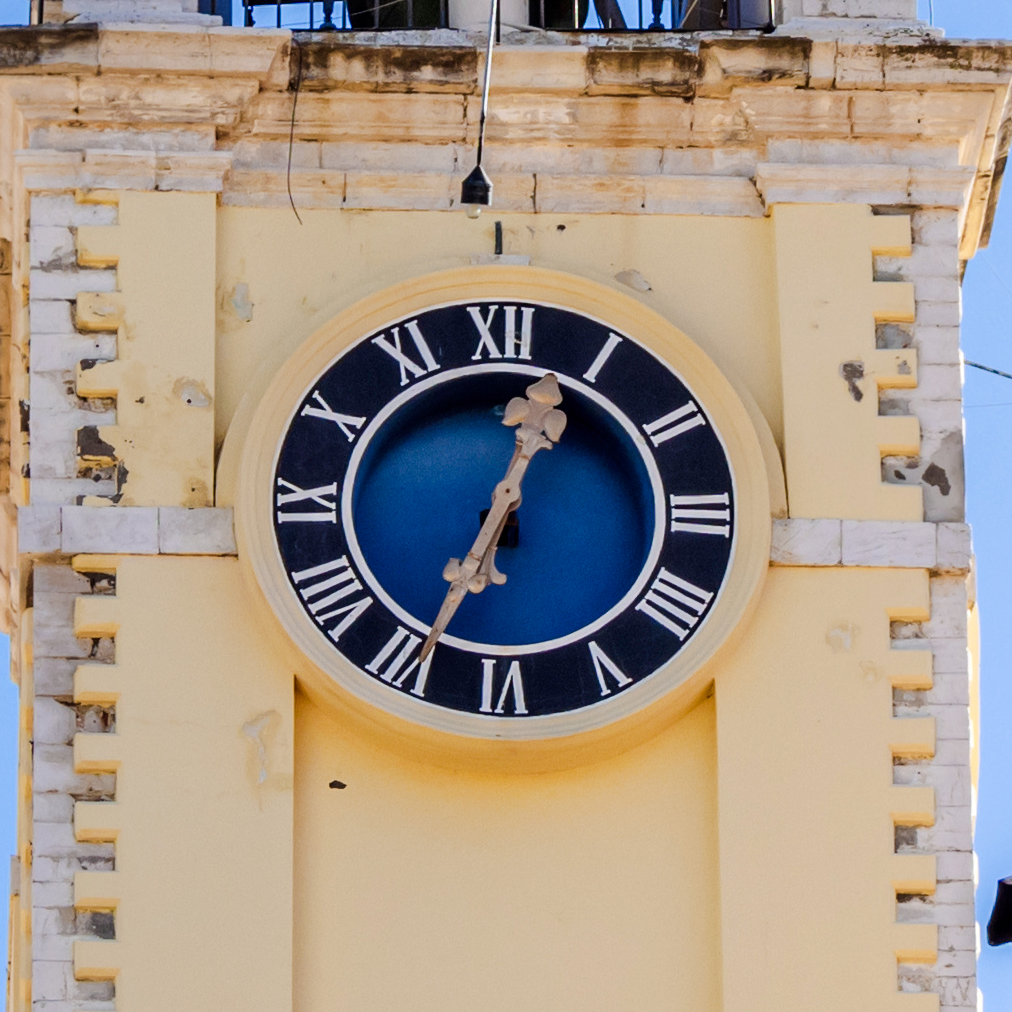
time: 12:34
